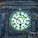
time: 5:49
